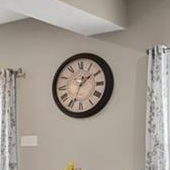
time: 1:33
